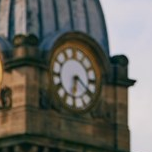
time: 6:20
